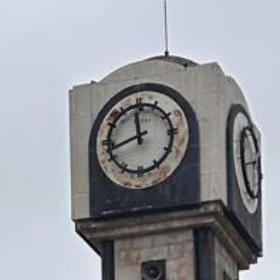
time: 11:42
